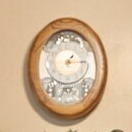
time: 1:13
